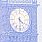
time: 4:29
